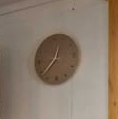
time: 12:37
